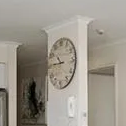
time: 10:45
